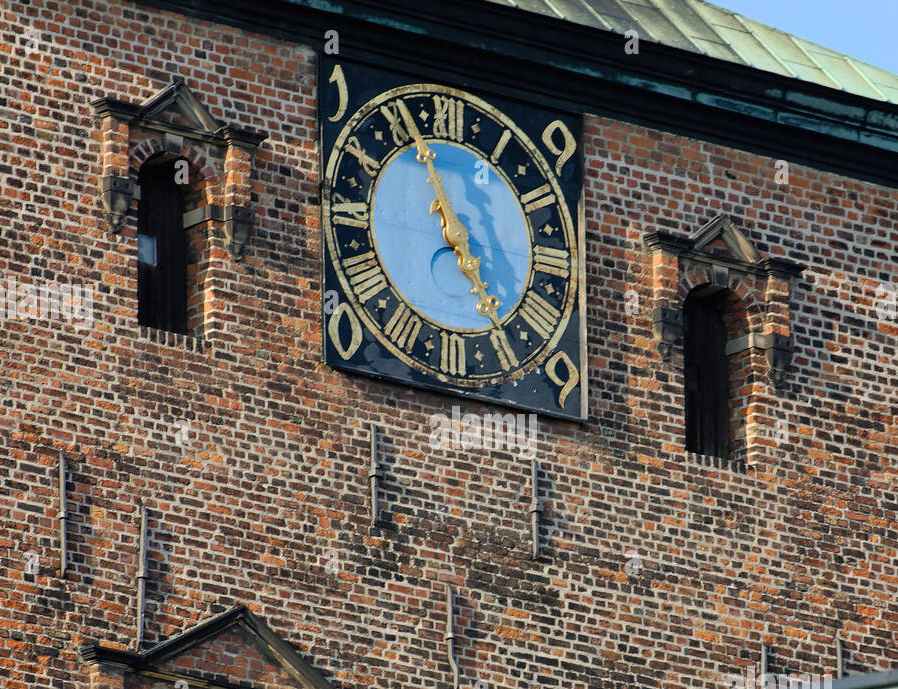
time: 11:25
